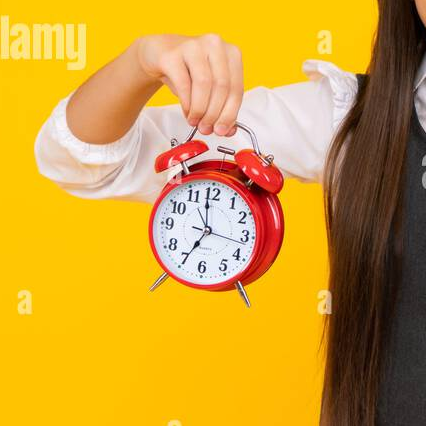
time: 6:58
